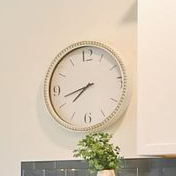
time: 7:42
